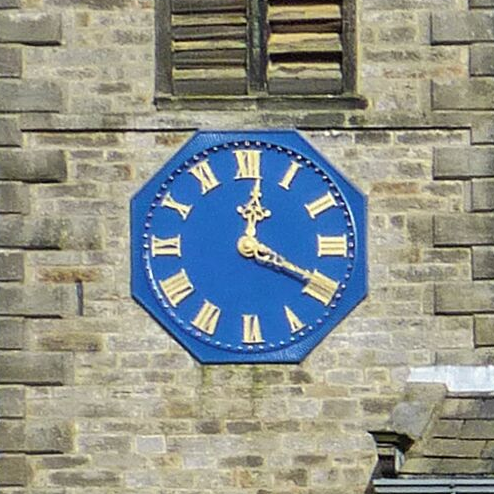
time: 12:19
